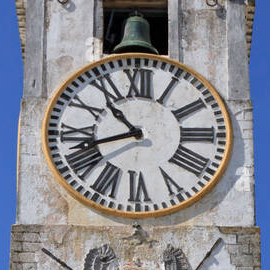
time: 10:41
